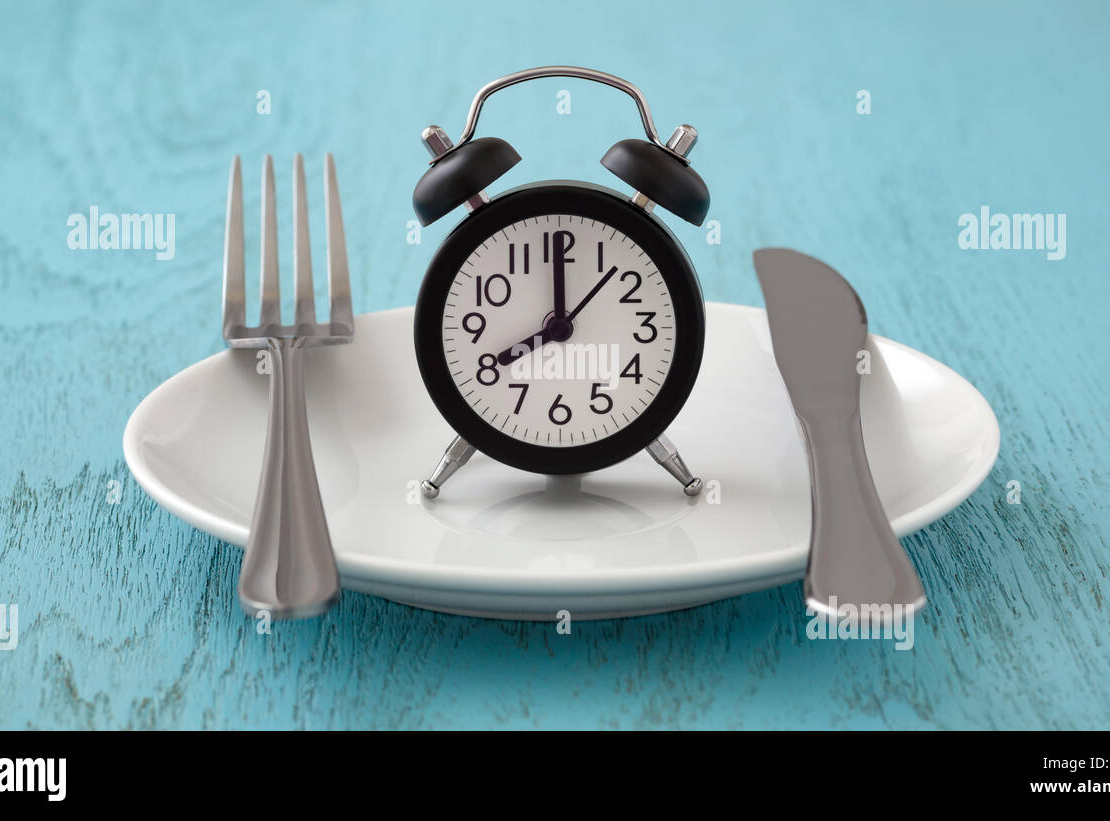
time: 8:00
